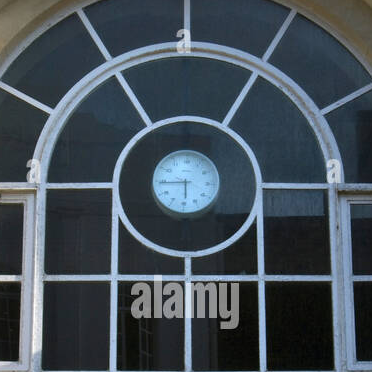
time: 5:44
